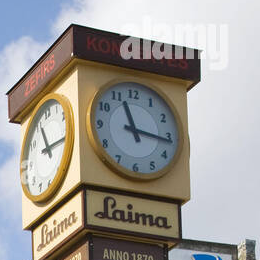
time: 11:16
